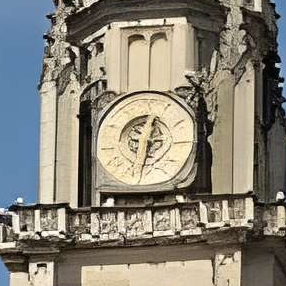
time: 12:32
